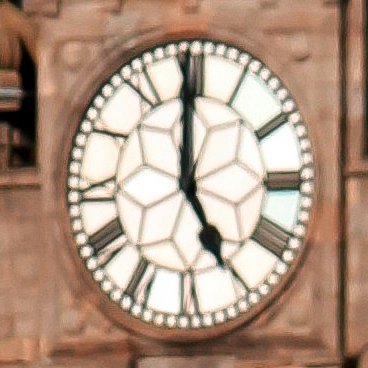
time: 4:59
